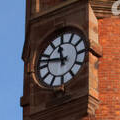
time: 11:46
